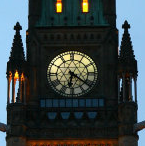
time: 6:21
